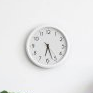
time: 6:26
